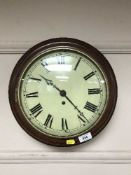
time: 10:23
